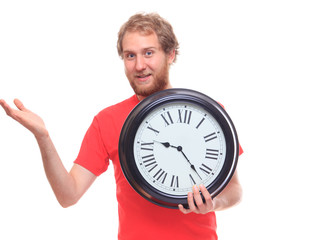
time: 9:22
